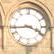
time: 3:43
